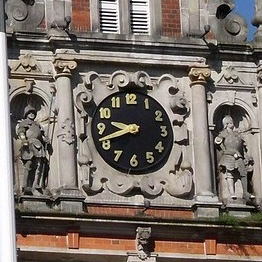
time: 9:42
